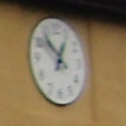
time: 12:52
